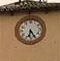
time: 6:25
